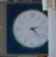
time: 2:22
